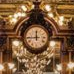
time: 11:44
